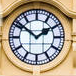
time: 1:51
